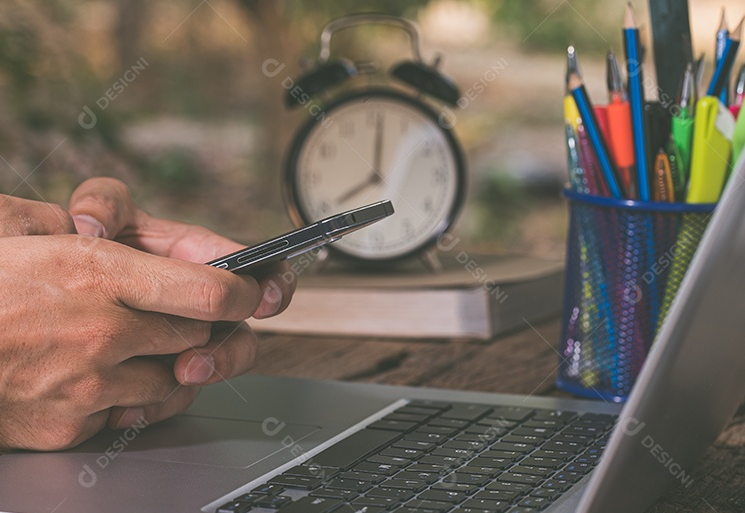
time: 8:01
